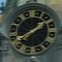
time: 1:39
